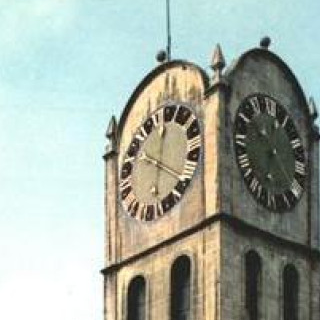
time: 12:19
